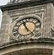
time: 11:22
